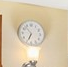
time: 6:53
